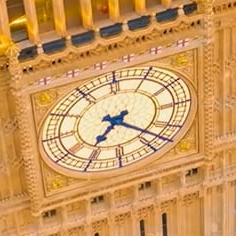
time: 7:22
